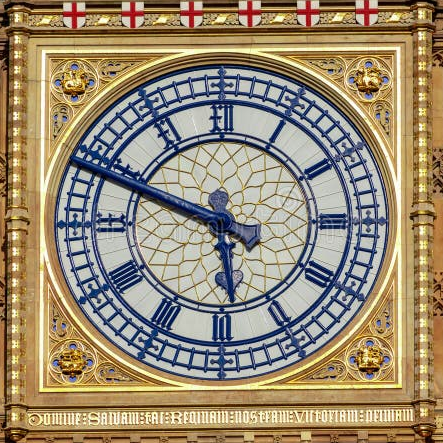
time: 5:48
